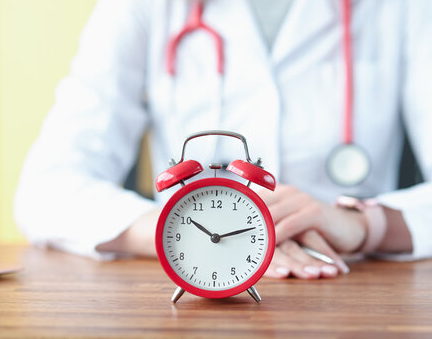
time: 10:12
